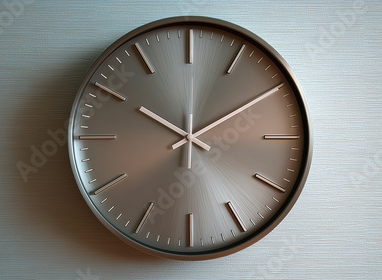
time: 10:09
